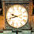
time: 9:42
